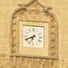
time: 6:40
